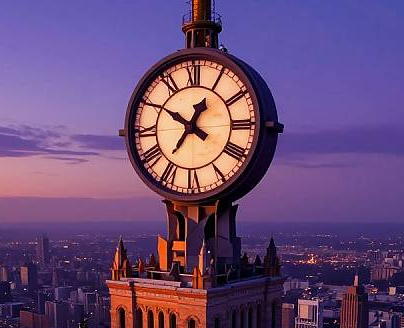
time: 12:50
